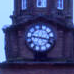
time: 9:17
